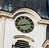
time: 2:43
